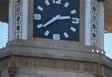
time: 2:38
